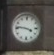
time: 3:46
